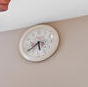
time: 5:38
